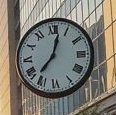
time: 12:36
